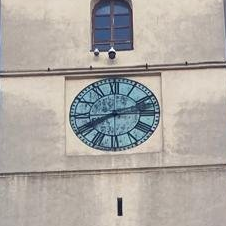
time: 8:12
